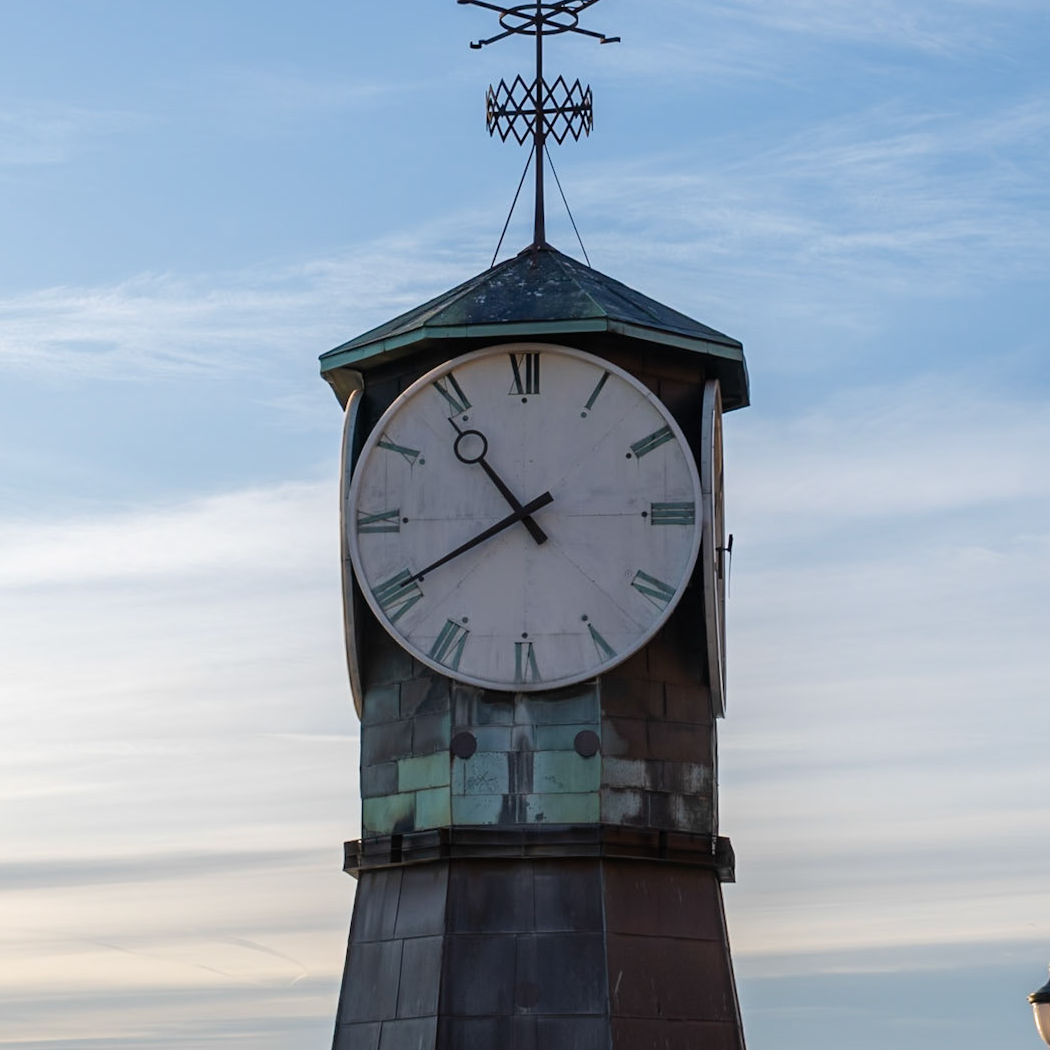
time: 10:40
